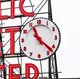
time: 11:22
